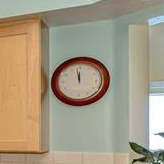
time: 11:57
